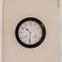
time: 10:30
